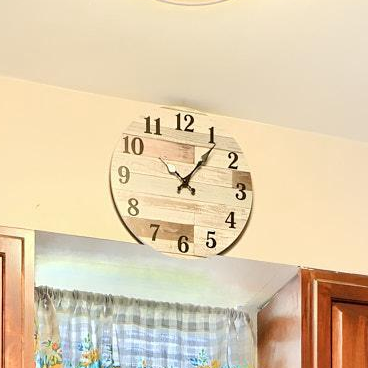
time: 10:06
